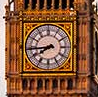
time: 7:44
